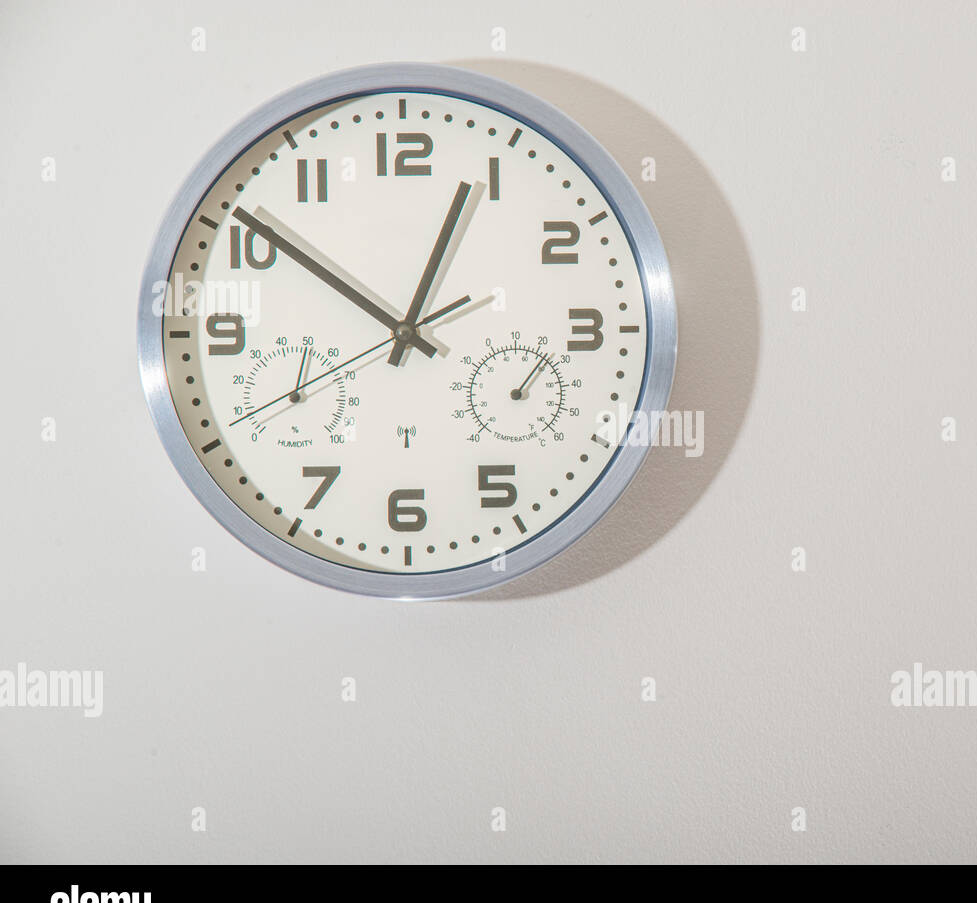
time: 12:50
